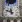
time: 11:48
